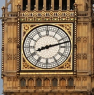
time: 8:12
